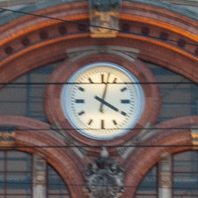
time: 4:02
